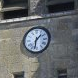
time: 1:32
